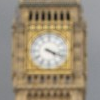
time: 4:18
